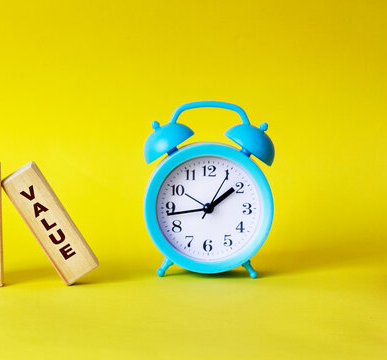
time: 1:43
